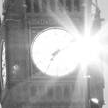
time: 7:11
